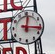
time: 12:16
